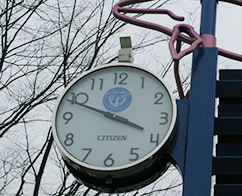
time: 3:48
